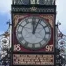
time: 12:03
